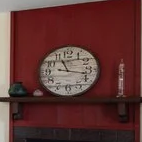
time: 11:17
